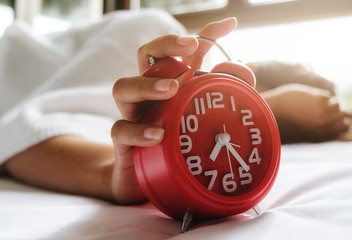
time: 7:23
